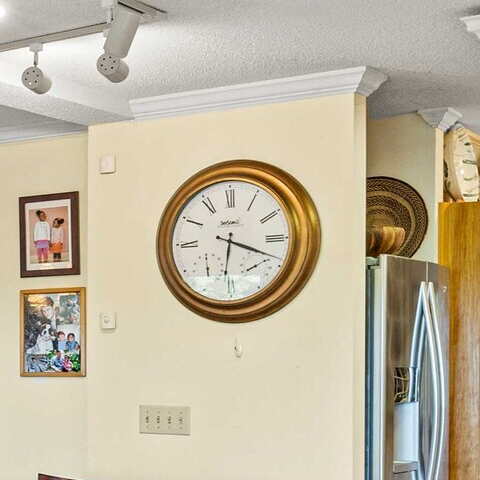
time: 6:18
